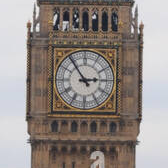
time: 2:54
